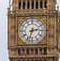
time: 2:33
